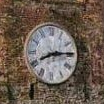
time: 8:13
